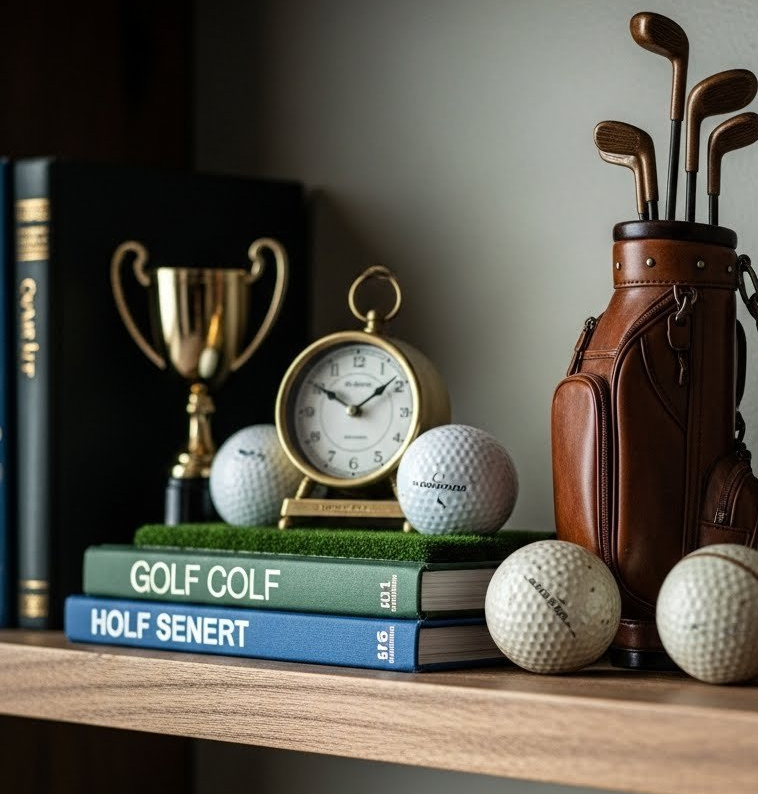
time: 1:50
